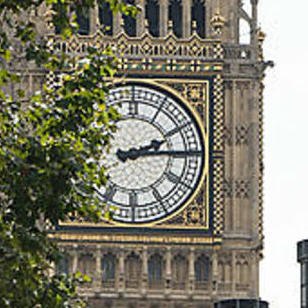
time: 2:14
